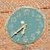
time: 7:38
